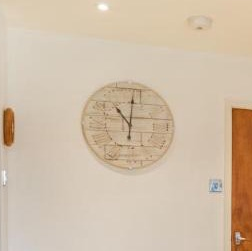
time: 10:00
